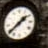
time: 1:38
